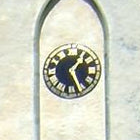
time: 1:26
